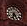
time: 6:25
